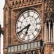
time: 6:41
